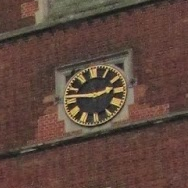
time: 2:46
